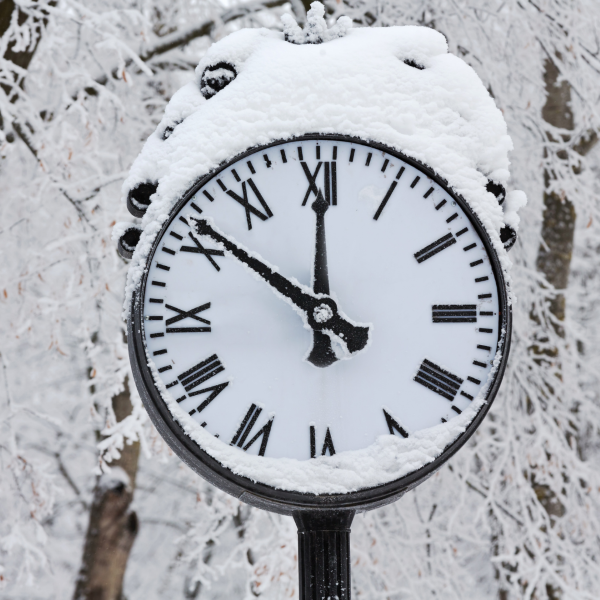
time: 11:51
